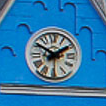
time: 1:50
